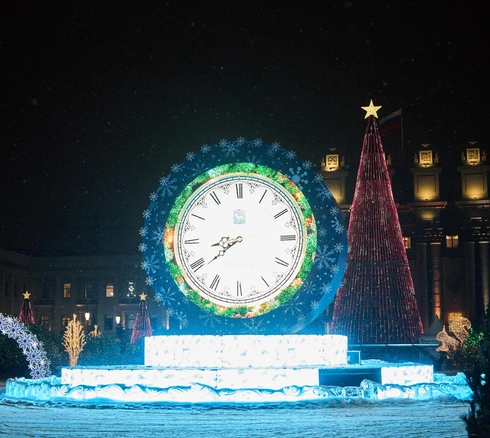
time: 8:39
